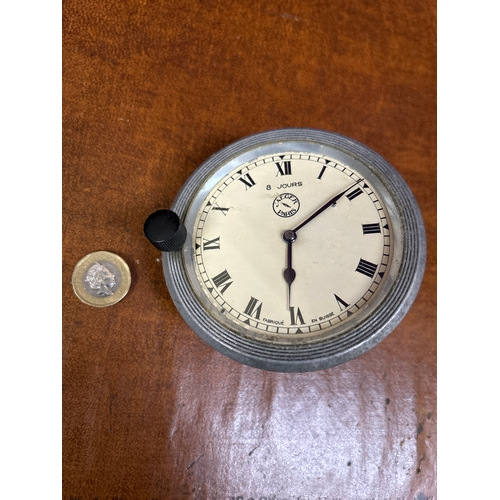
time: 6:09
